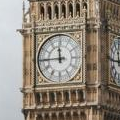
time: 11:44
